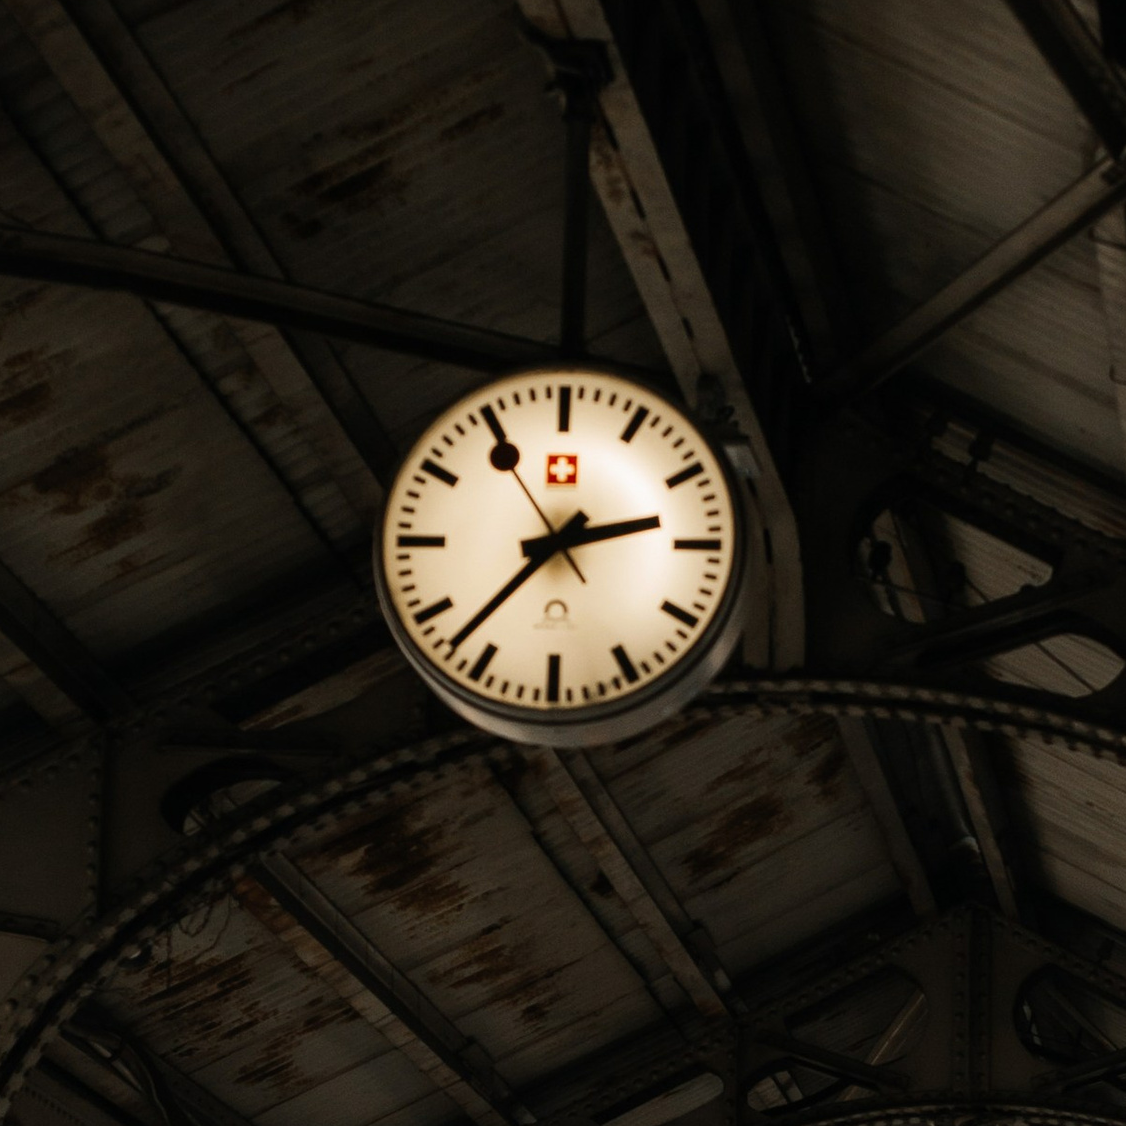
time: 2:37
